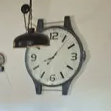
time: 8:06
